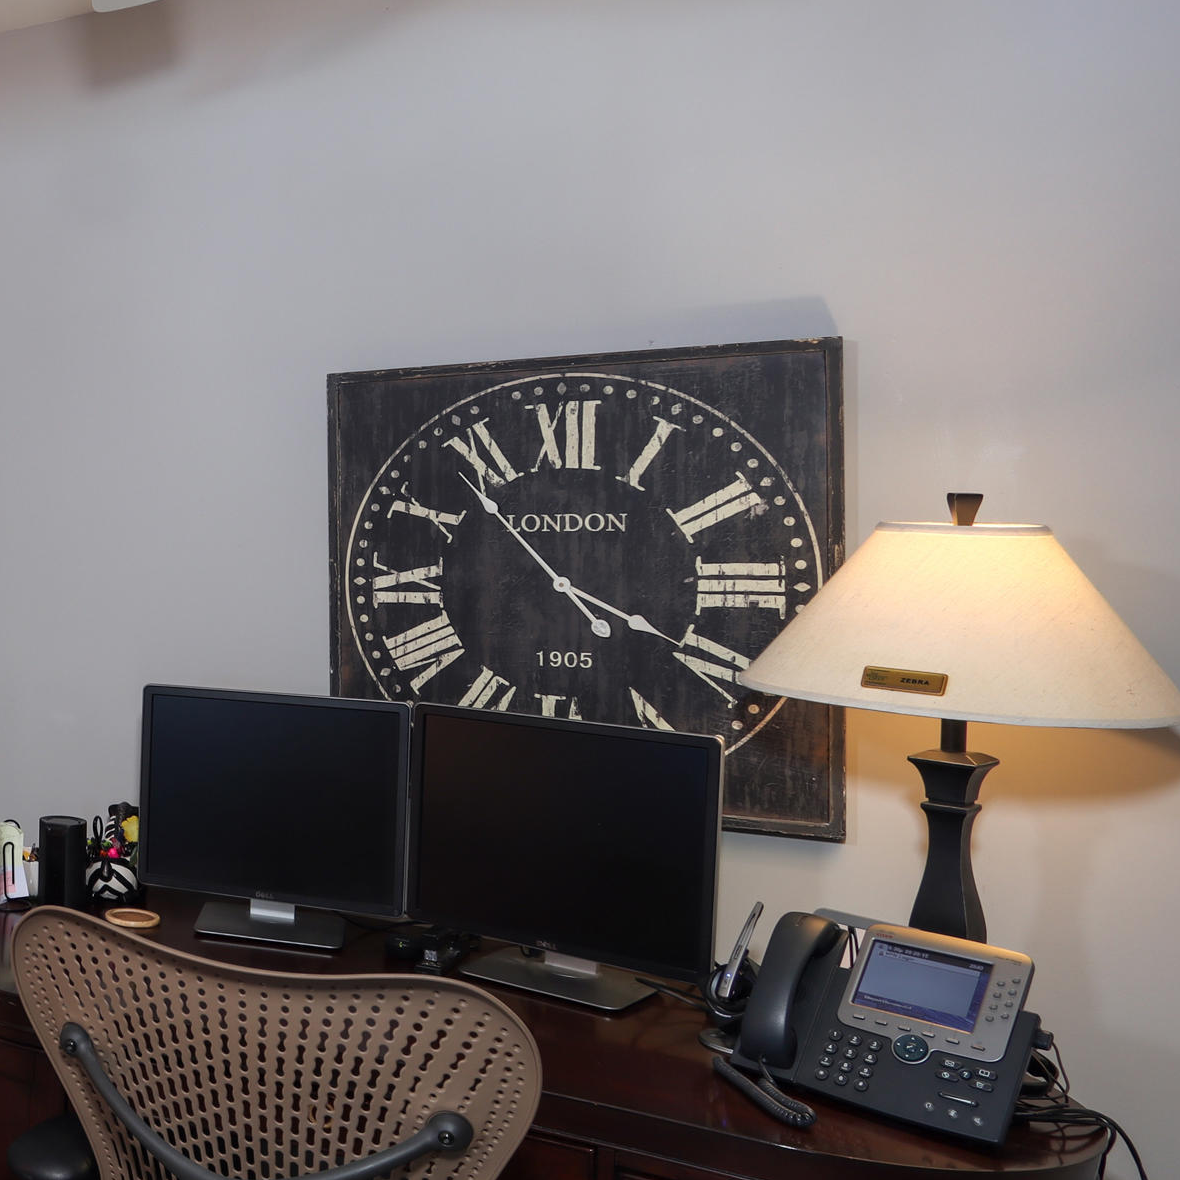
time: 3:53
